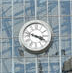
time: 3:47
